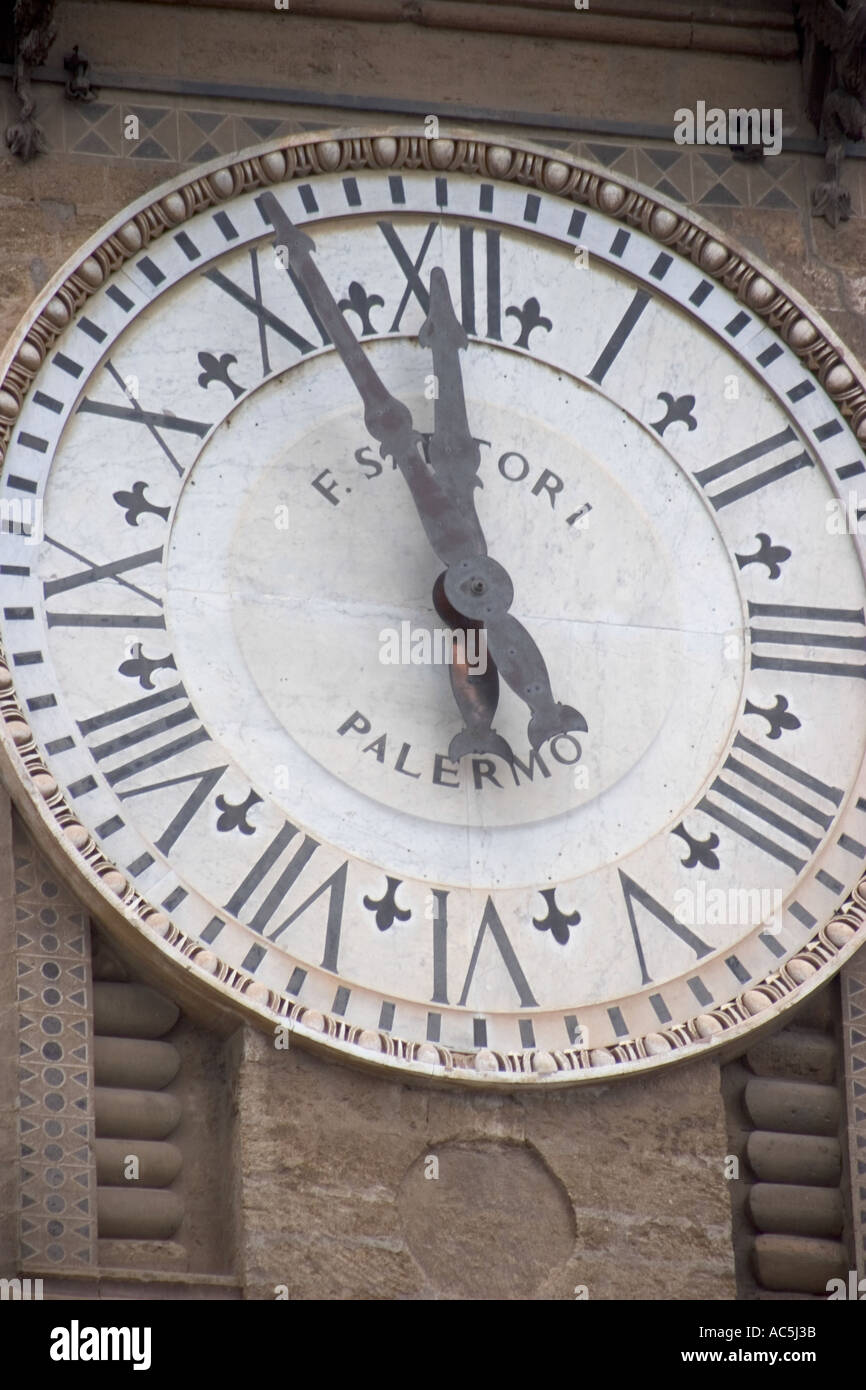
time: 10:58
